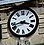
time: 3:42
